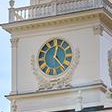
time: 12:23
